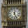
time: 12:26
